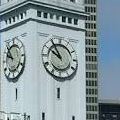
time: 9:54
